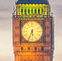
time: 5:33
